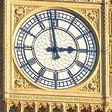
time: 2:58
